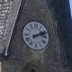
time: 2:11
